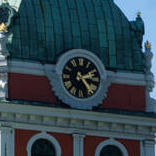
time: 2:23
